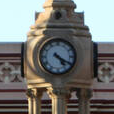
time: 4:19
